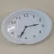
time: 2:33
